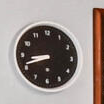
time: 8:41
